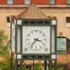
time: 3:37
